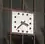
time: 3:37
